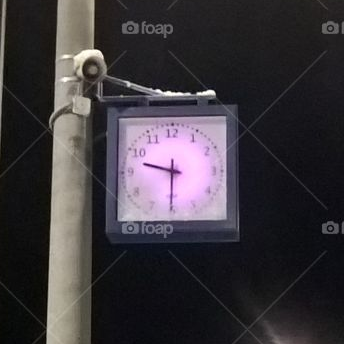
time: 9:30
